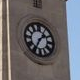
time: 1:35
